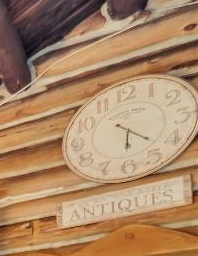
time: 6:22
